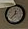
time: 12:37
